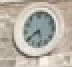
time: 5:40
